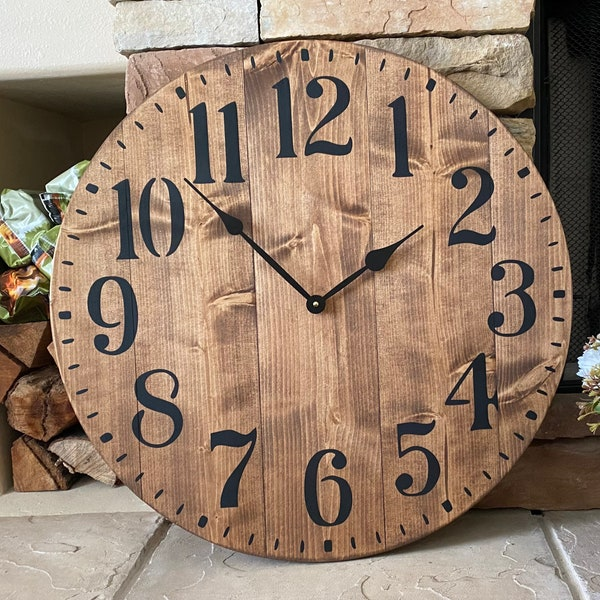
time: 1:52
